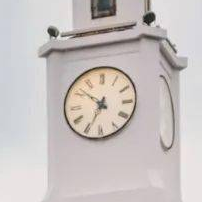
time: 6:51
